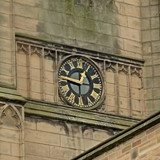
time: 12:46
